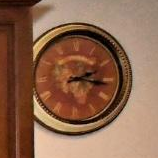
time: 2:16
